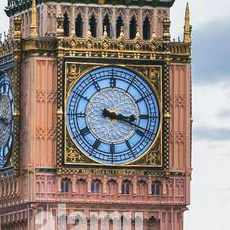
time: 3:18
